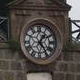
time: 1:23
